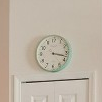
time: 3:17
